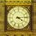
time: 4:13
